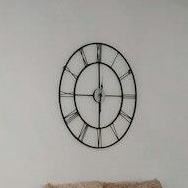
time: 5:59
